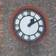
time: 1:10
